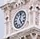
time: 12:24
